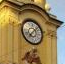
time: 7:07
